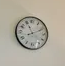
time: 11:11
